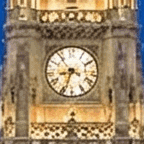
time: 8:33
